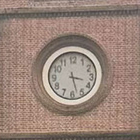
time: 3:27
